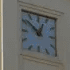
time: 12:51
